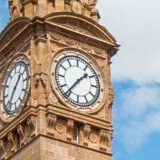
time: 1:36
